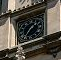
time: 1:35
